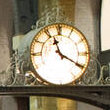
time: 11:20
